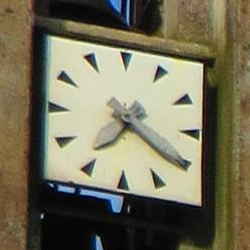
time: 7:20
